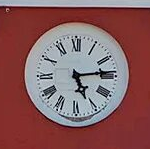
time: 5:13
